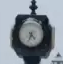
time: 4:34
